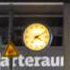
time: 4:10
